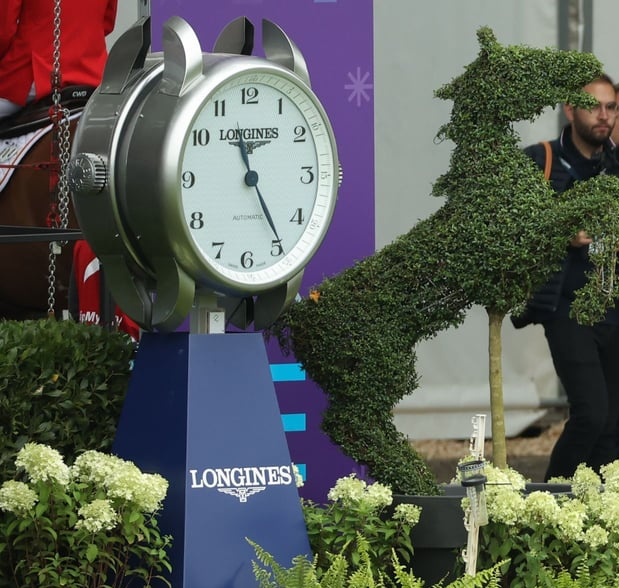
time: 11:24
